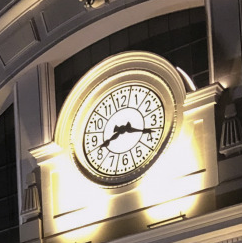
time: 8:18
